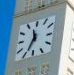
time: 11:34
